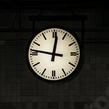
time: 11:46
